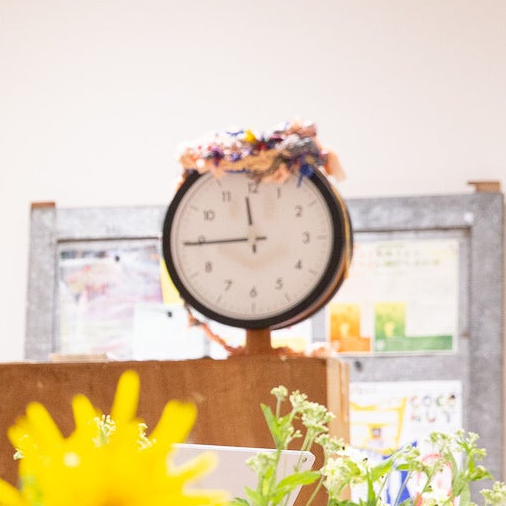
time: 11:44
